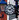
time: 1:47
